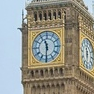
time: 11:30
